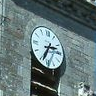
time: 2:34
